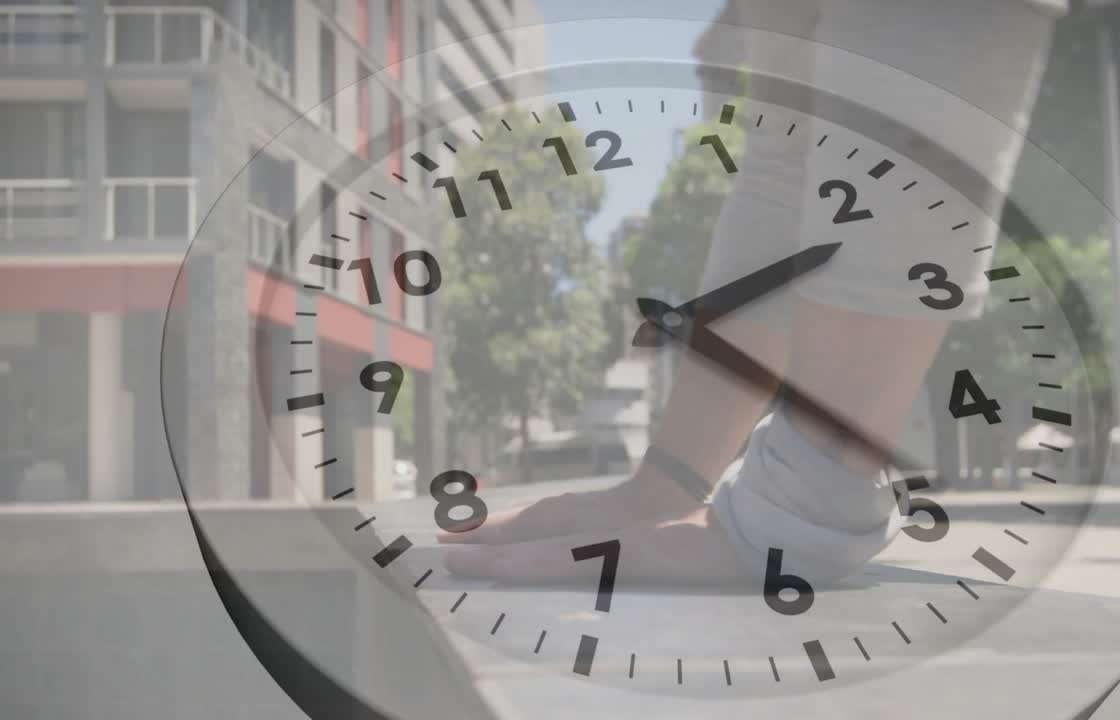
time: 2:24
